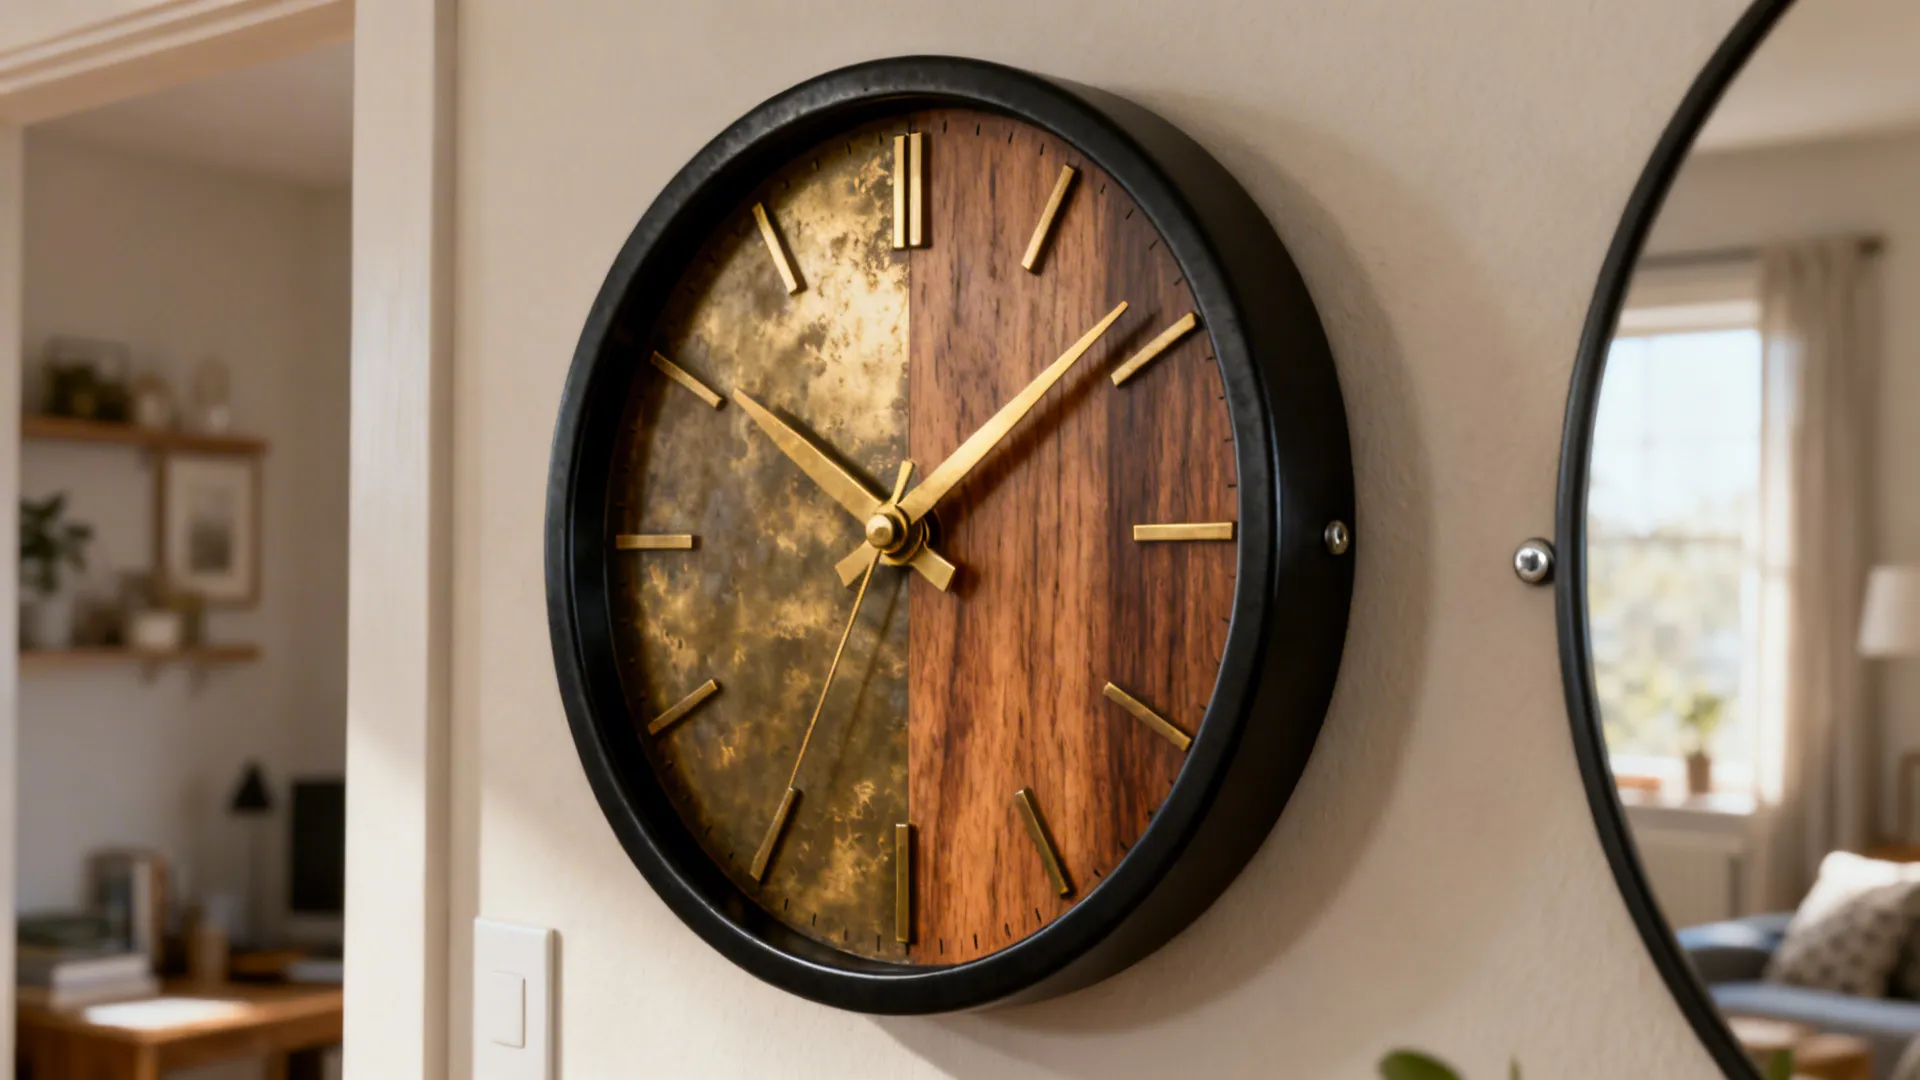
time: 1:50
